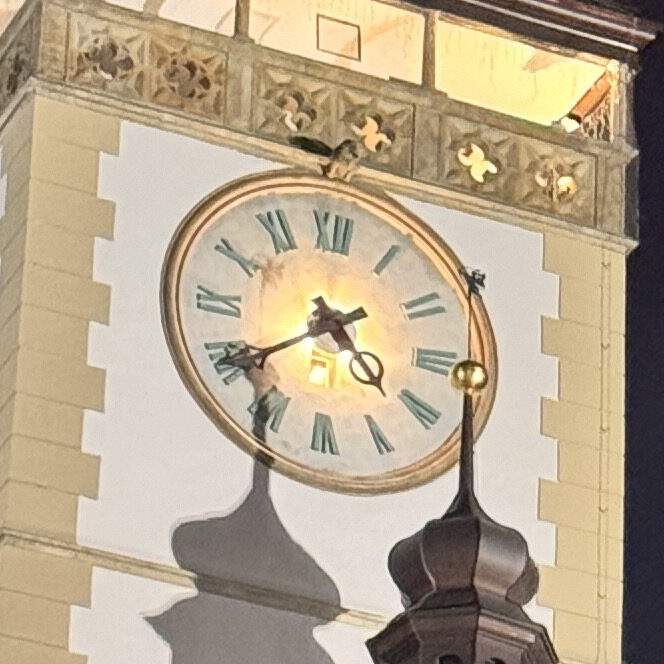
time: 4:38
